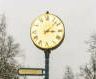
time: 3:07
